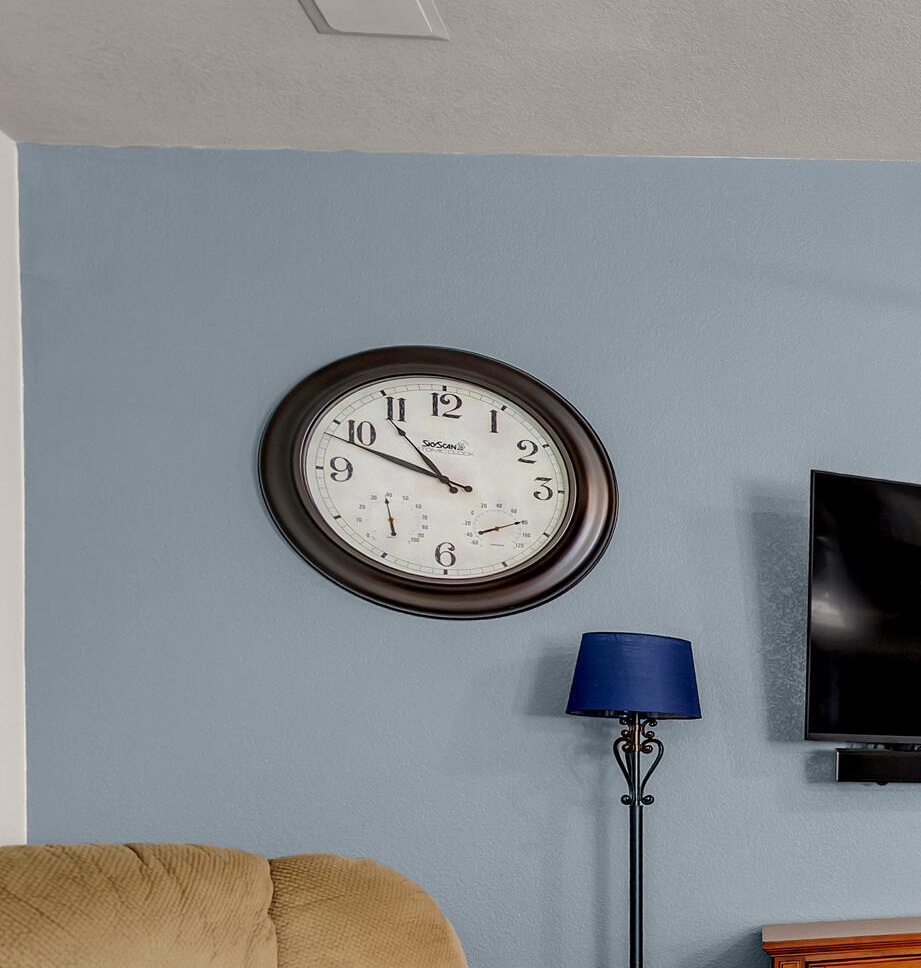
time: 10:48
